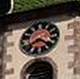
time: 3:40
